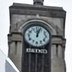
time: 12:03
